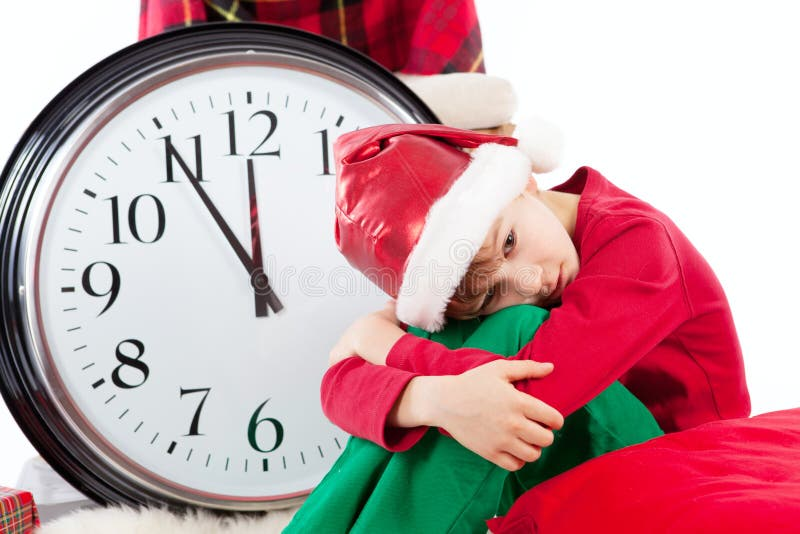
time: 11:54
